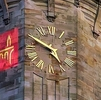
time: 4:49
